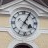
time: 4:04
